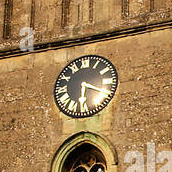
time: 6:18
